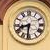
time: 8:31
